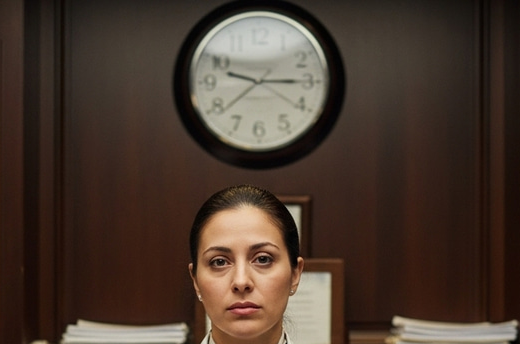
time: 9:15
